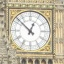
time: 12:52
